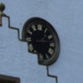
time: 1:13
